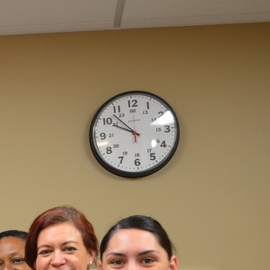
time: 9:52
